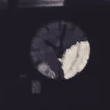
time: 10:01
